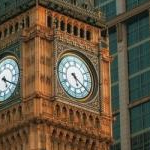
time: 5:20
